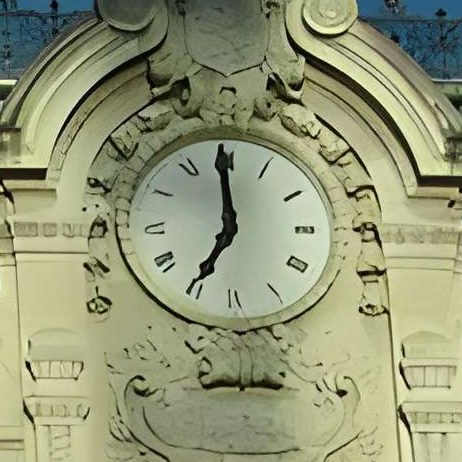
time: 6:59
